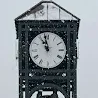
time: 10:58
